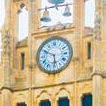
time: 5:49
